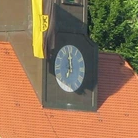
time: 11:59
